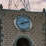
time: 8:11
